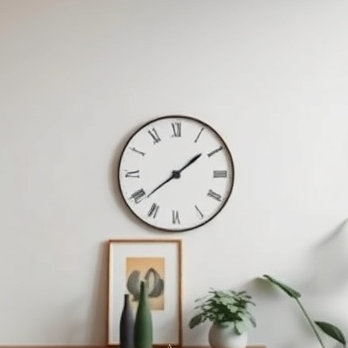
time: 1:38
